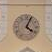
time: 4:04
